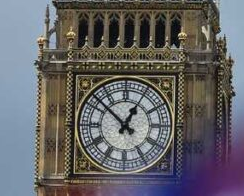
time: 12:52
